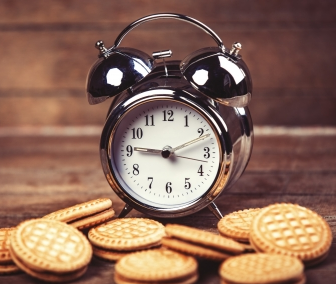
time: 9:11
